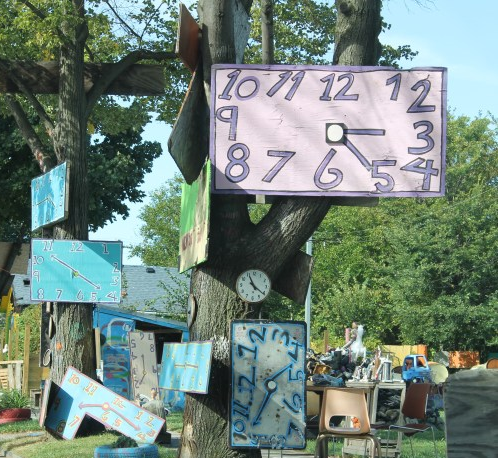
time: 3:24
